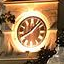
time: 8:07
